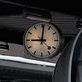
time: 9:01
